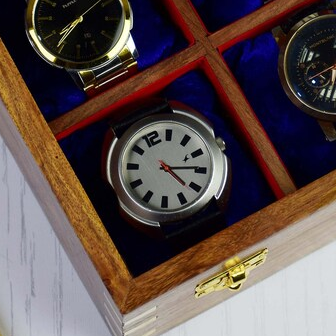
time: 4:14
